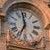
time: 6:58
